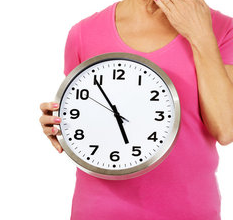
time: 4:54
